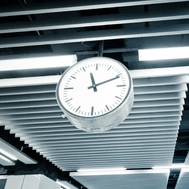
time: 11:11
